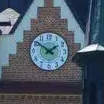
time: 1:51
